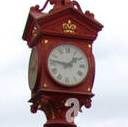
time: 1:46
